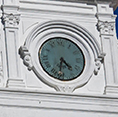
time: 4:32
